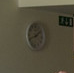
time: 1:41
